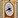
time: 3:40
